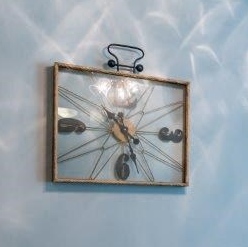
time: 4:26
